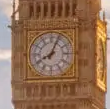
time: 8:04
